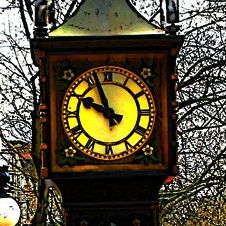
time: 9:56
